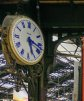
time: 5:17
